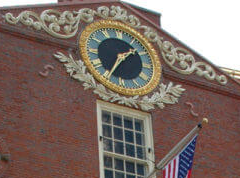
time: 1:34
